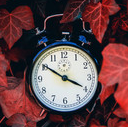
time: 3:50
